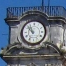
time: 10:52
